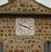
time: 3:48
